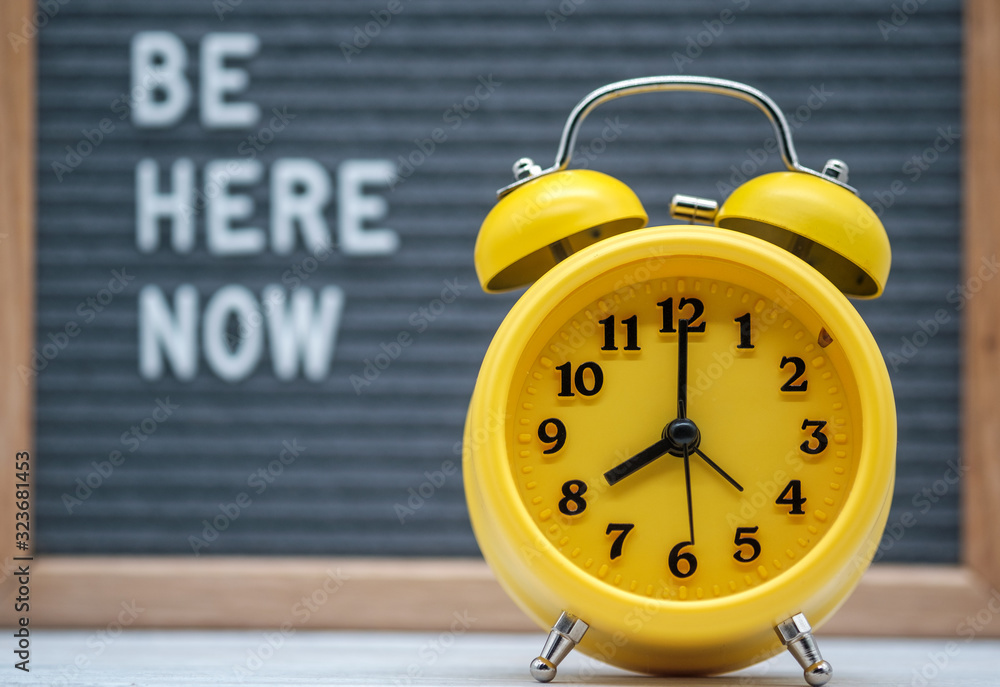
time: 8:00
